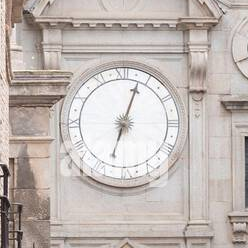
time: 12:32
